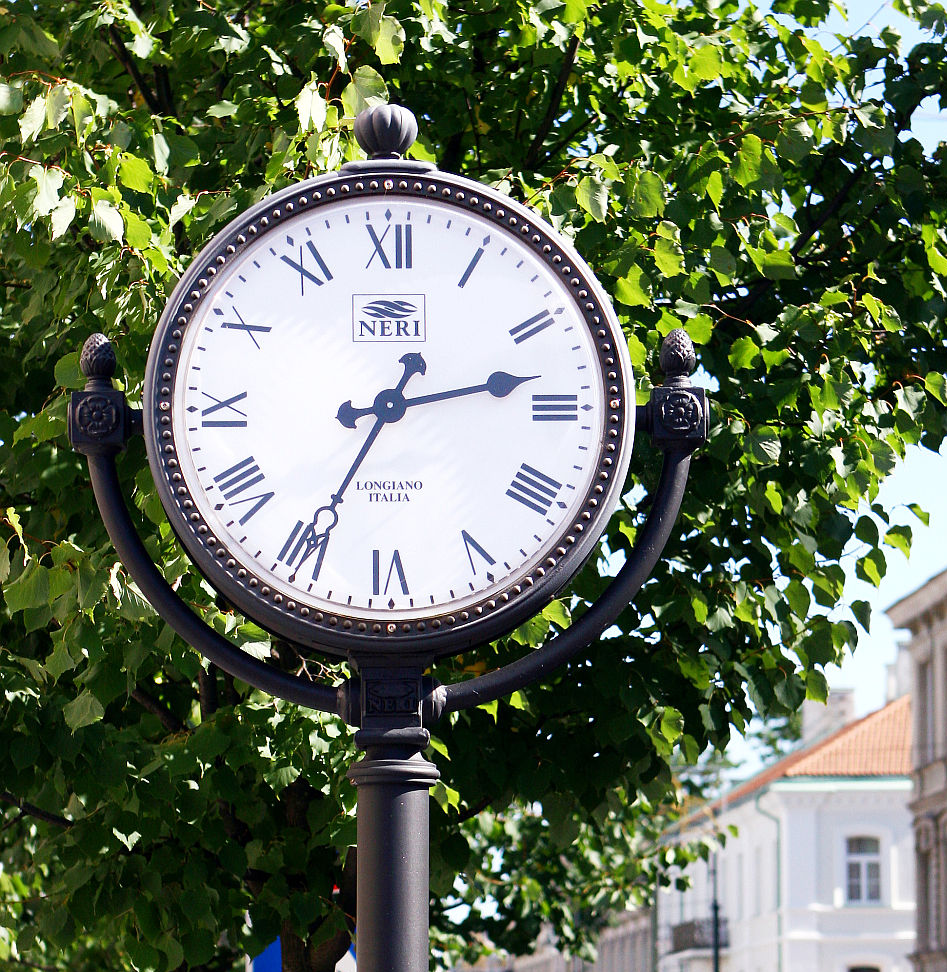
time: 2:34
